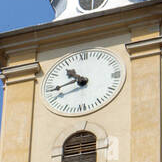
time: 10:43
